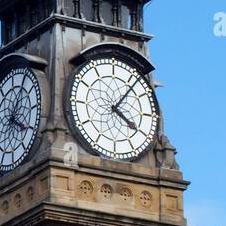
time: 4:06
